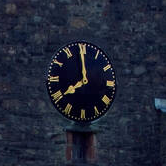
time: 7:59
